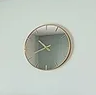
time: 10:41
